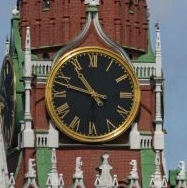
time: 10:47
